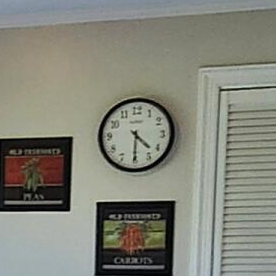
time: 4:30
